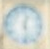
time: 12:28
